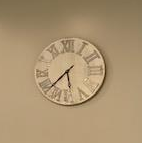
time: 5:38
